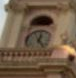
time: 12:23
